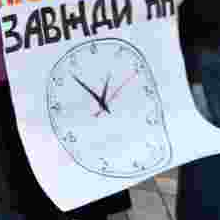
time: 12:52
